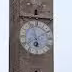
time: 5:57
